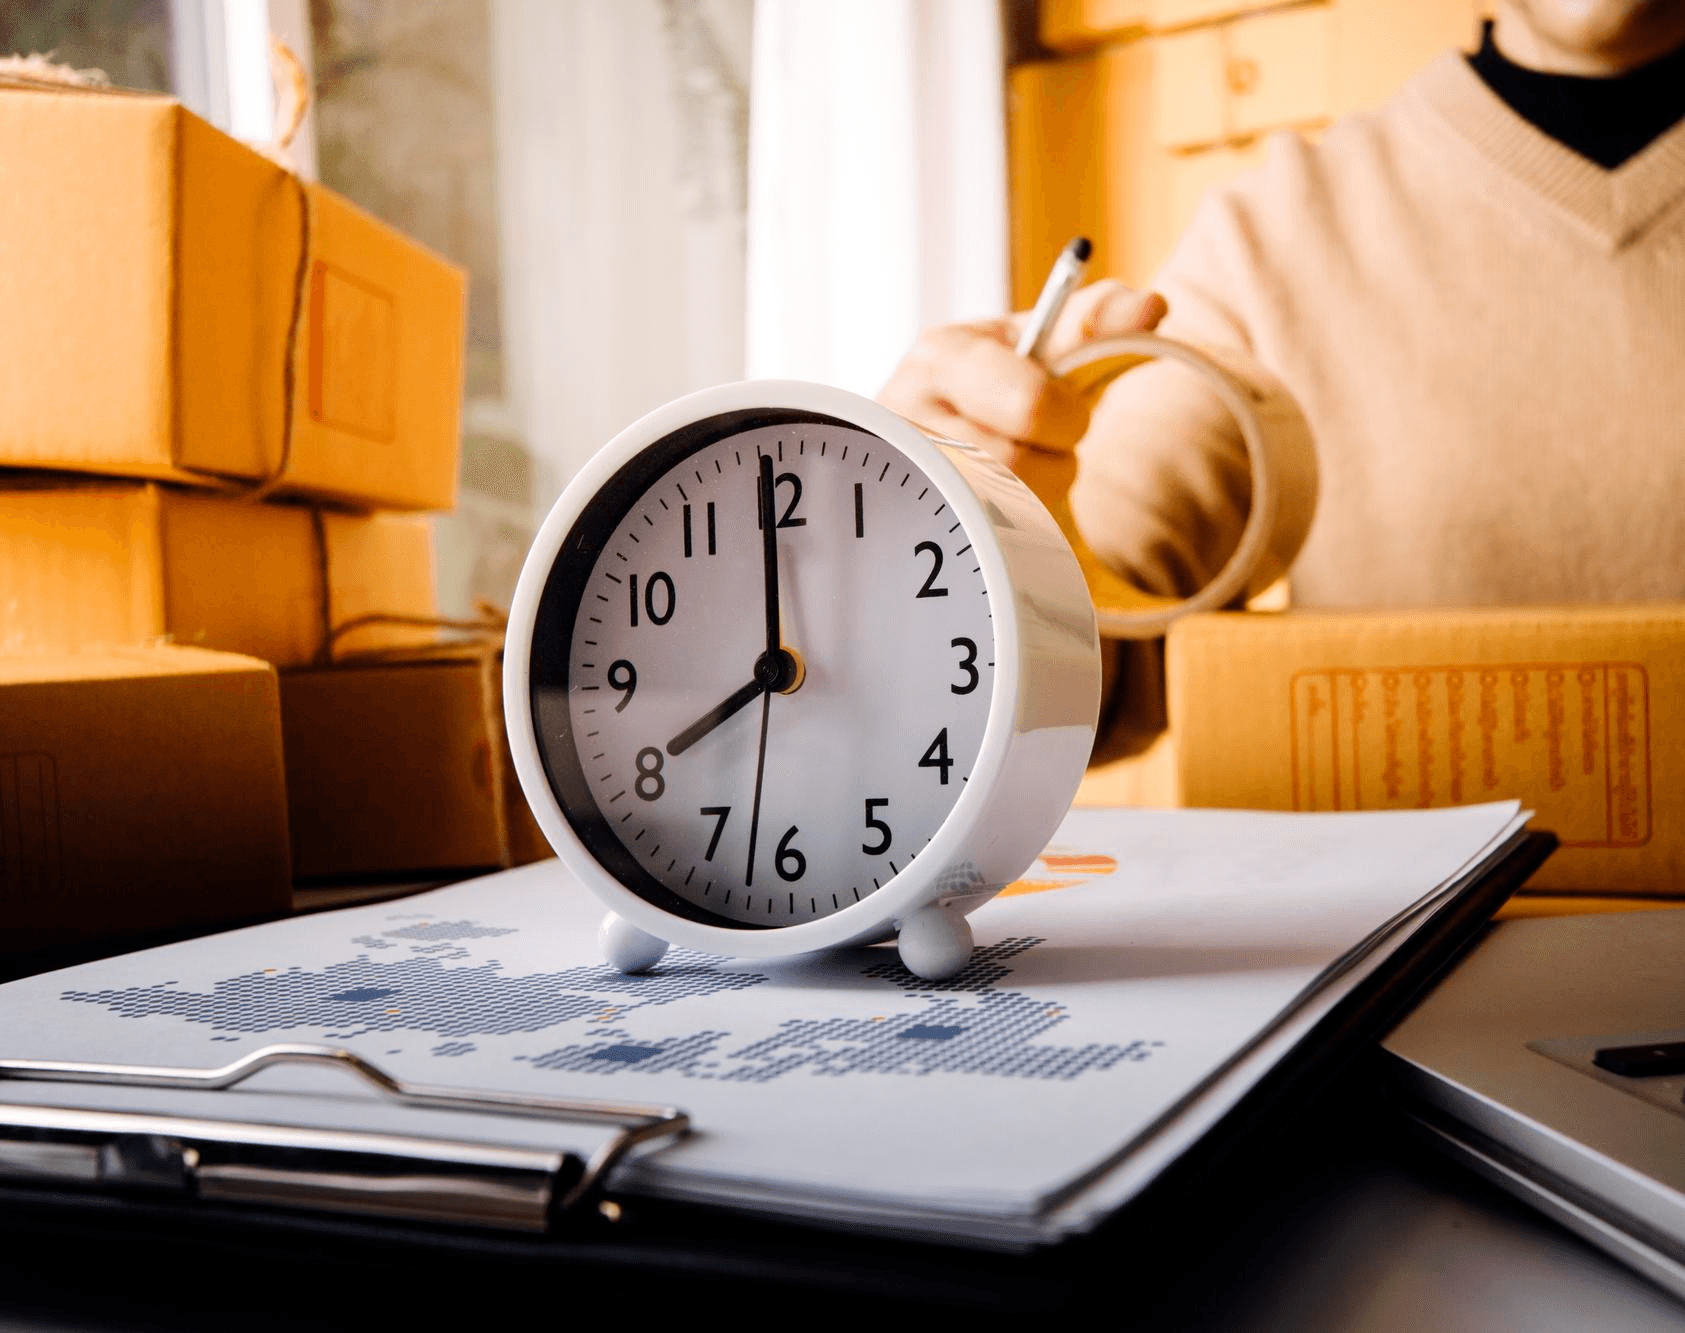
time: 7:59
